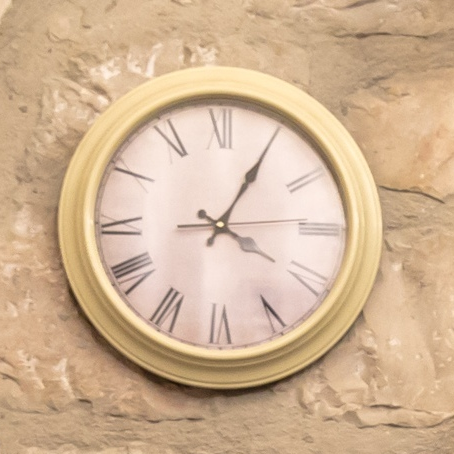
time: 4:05
